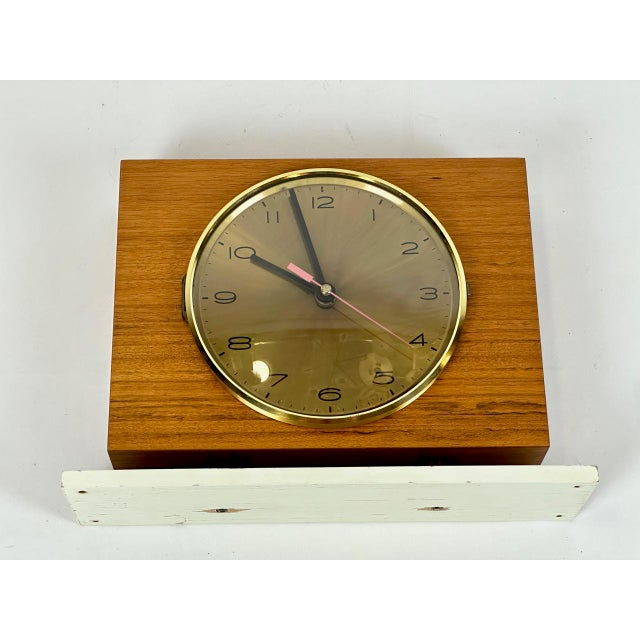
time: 9:57
